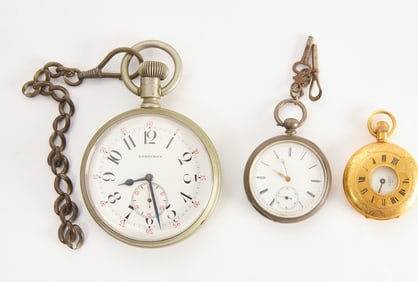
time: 8:27
